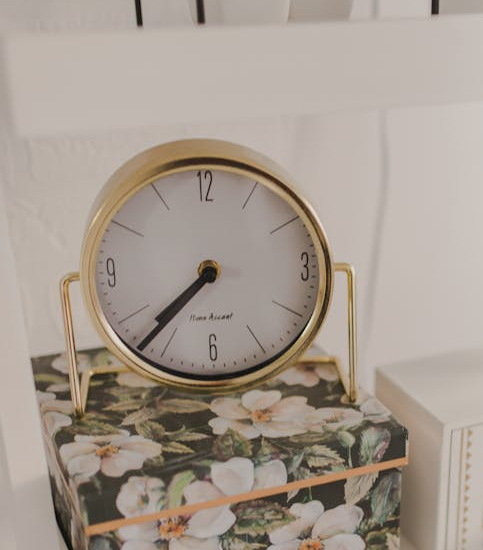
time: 7:37
